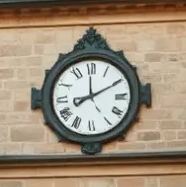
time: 8:10
